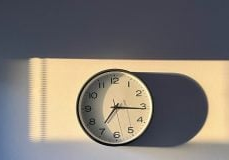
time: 7:15
